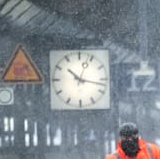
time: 10:17
